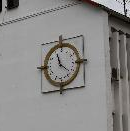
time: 11:21
